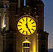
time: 4:59
